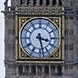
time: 3:28
